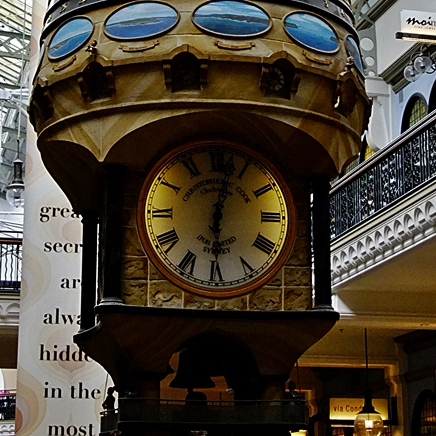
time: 6:02
